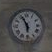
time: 5:55
